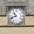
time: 10:41
